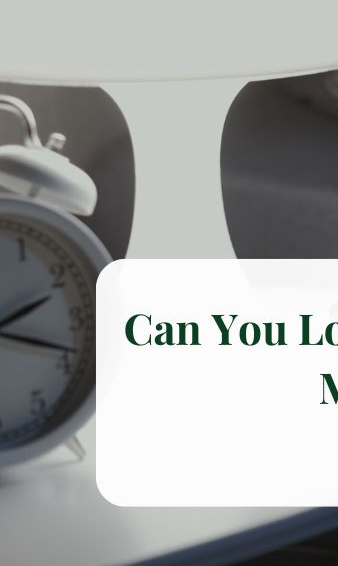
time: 2:18
